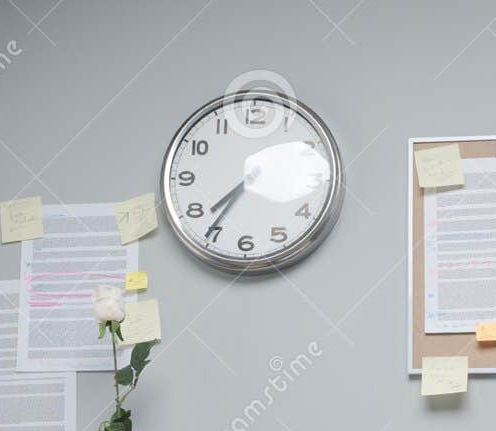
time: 7:35
